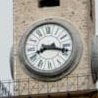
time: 8:17
